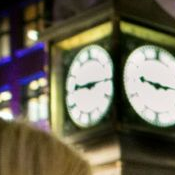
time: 9:15
